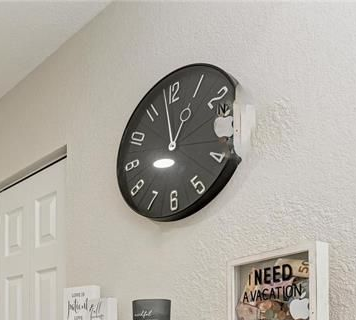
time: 12:58
